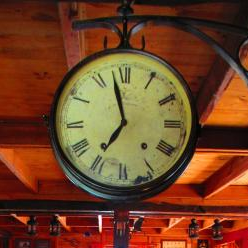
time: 6:57
